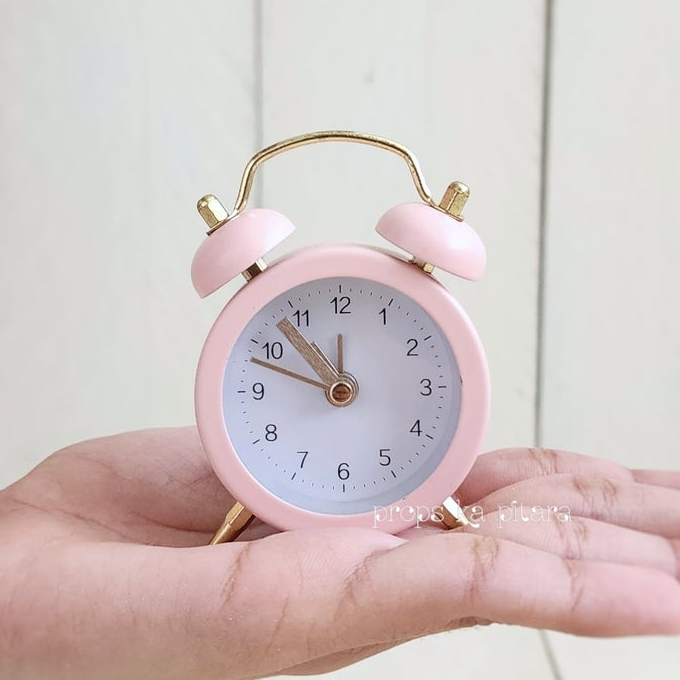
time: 10:48
